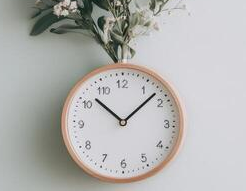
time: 10:07
